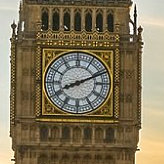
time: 8:11
